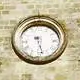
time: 5:27
